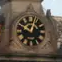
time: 12:49
